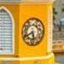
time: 5:40
